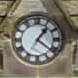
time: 1:21
